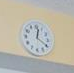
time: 12:20
